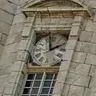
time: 1:57
